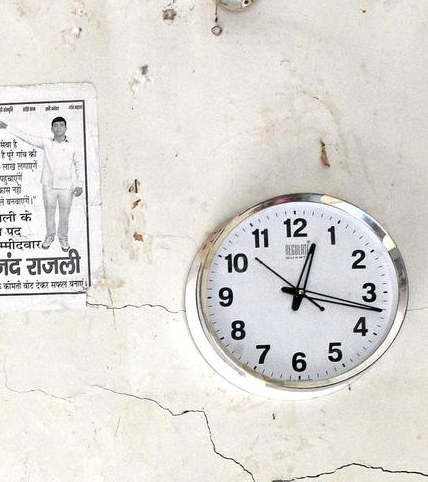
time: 12:17
